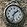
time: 1:32
